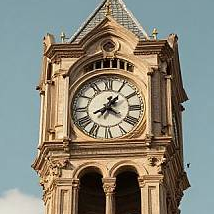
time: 8:06
